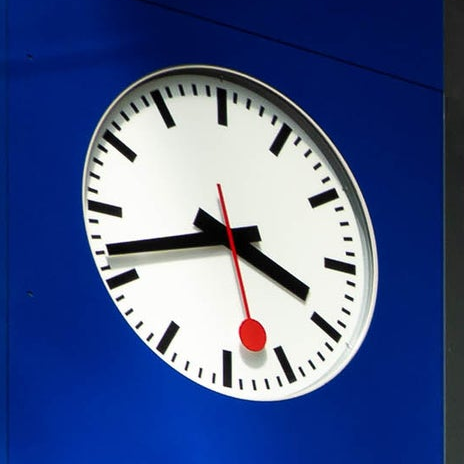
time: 3:42
